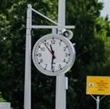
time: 11:30
